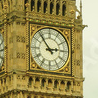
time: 2:53
